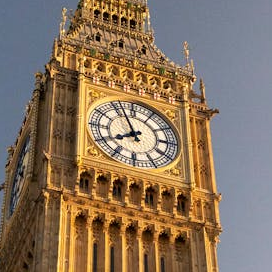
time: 7:55
